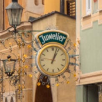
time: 1:03
